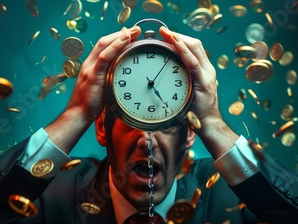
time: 5:06
